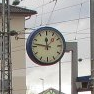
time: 11:46
